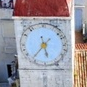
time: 5:36
